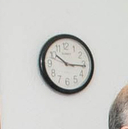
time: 10:15
